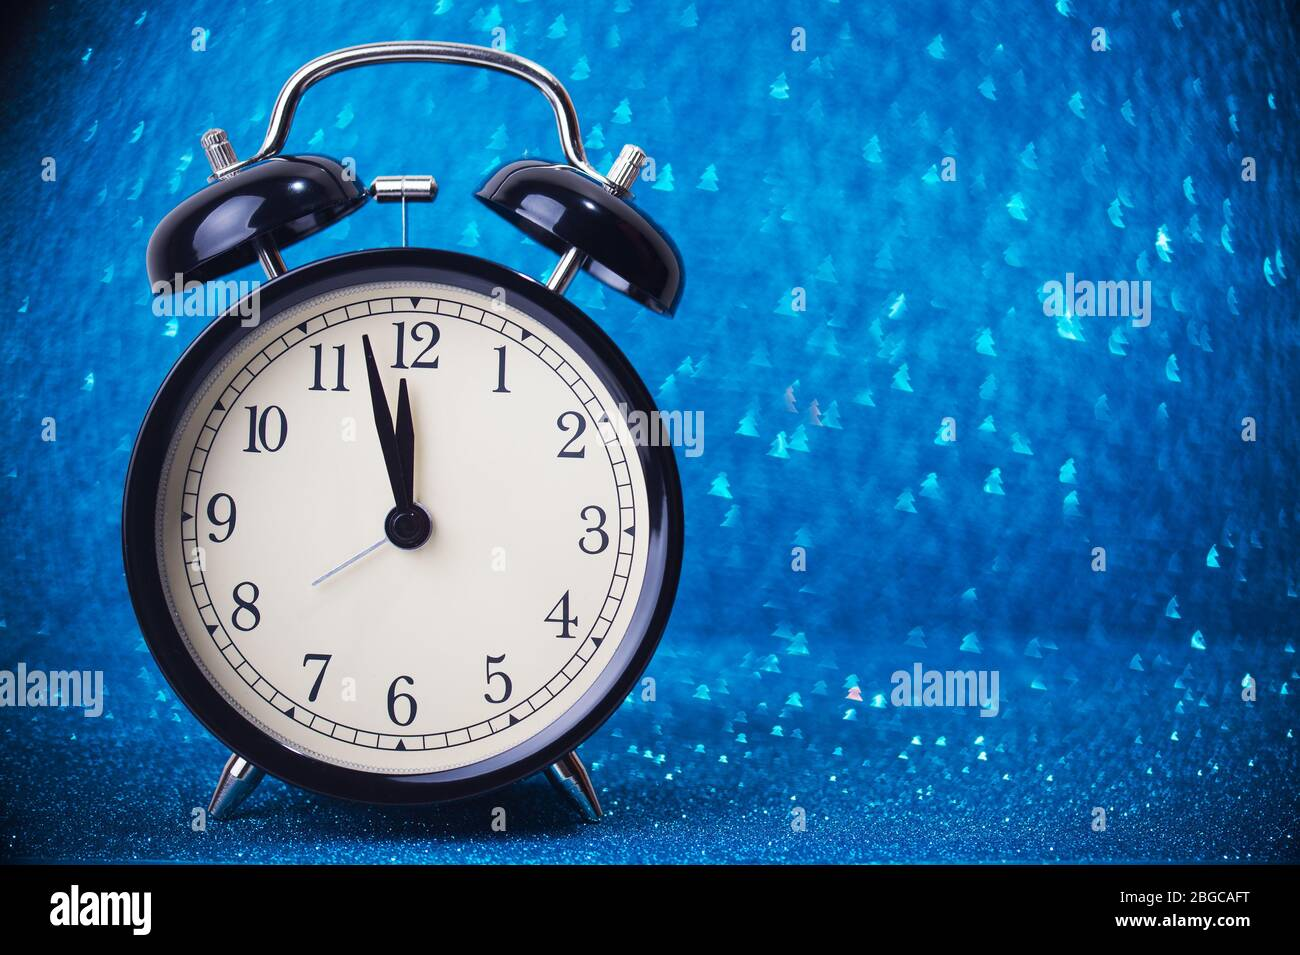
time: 11:57
